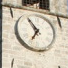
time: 6:54
